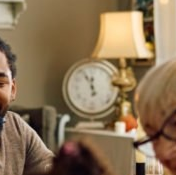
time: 11:55
